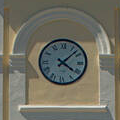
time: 4:07
